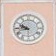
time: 9:43
